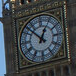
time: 12:52
